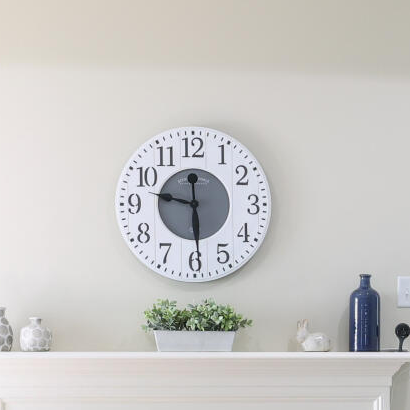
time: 9:29
